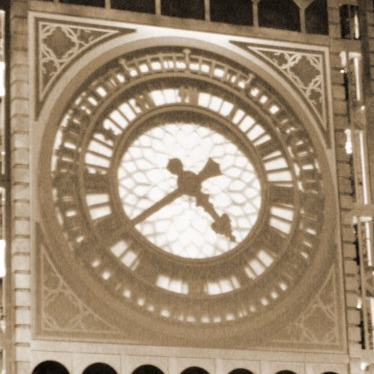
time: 4:37
